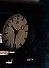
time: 10:31
